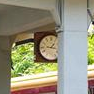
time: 1:16
